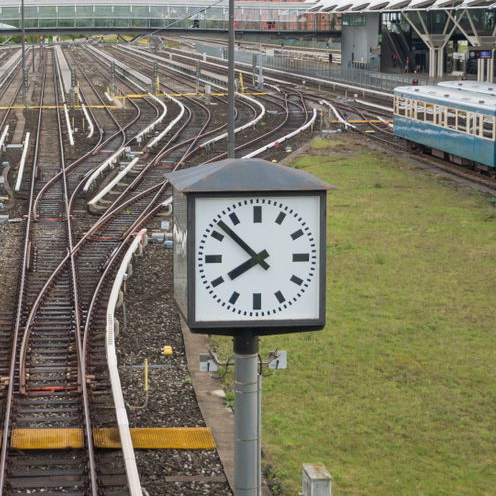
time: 7:52
